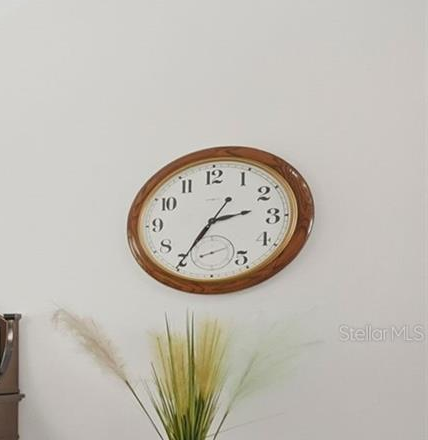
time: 2:35
